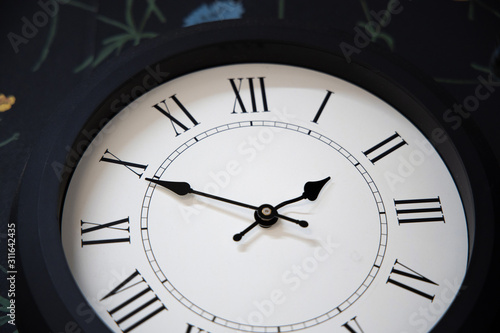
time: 1:49
